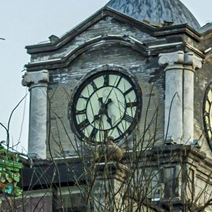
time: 7:25
